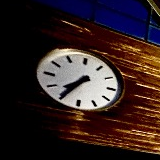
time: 7:35
